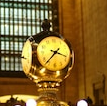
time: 3:37
